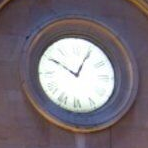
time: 12:50
